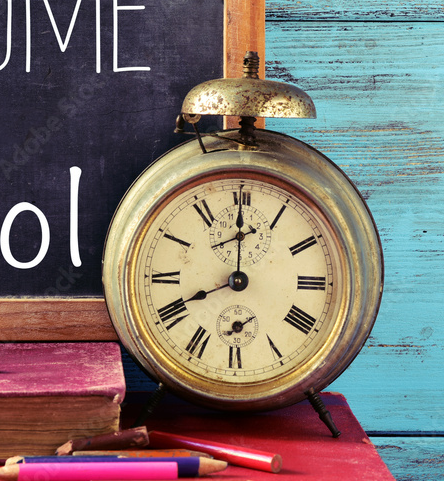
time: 7:59
